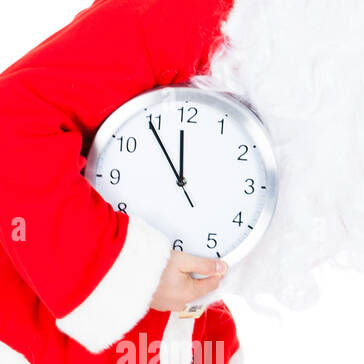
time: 11:54
